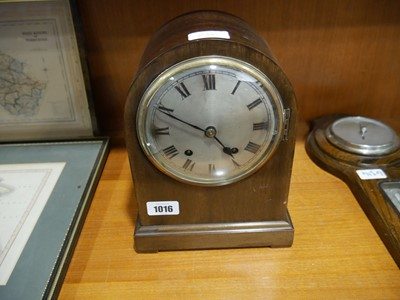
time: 4:49
